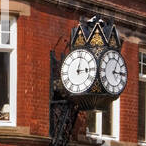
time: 3:02
